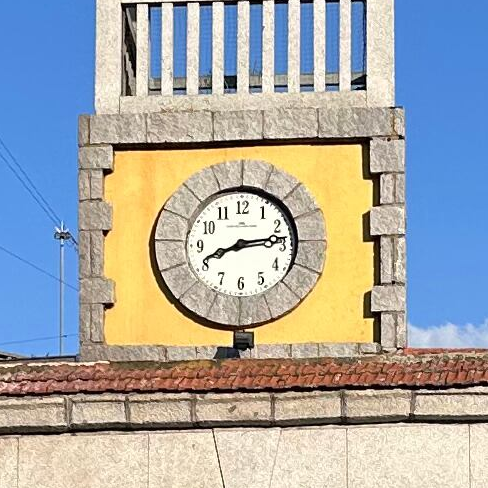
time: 8:13
